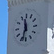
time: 11:32
